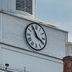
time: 3:55
